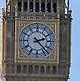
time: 2:22
